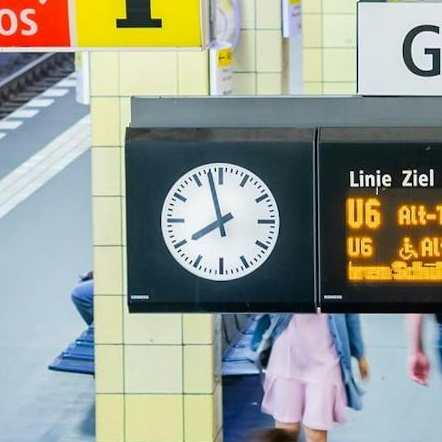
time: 7:57
